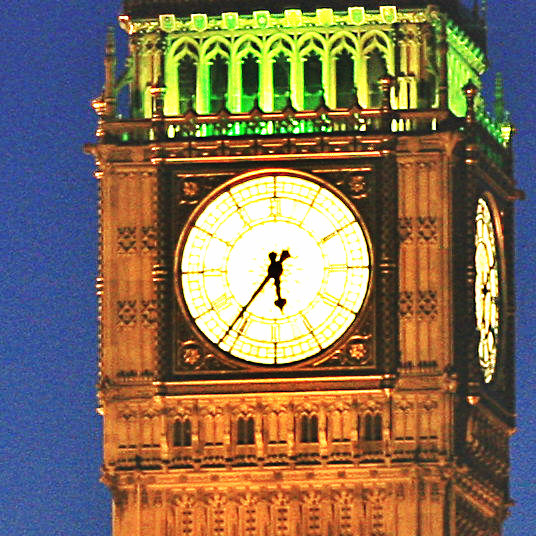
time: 5:36
